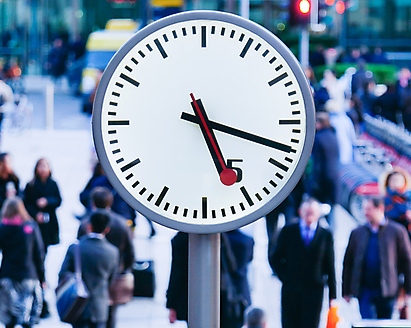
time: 5:18
